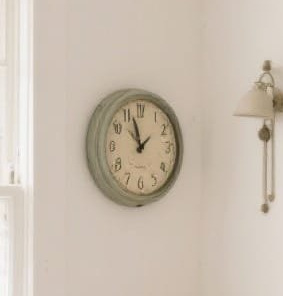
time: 1:56
